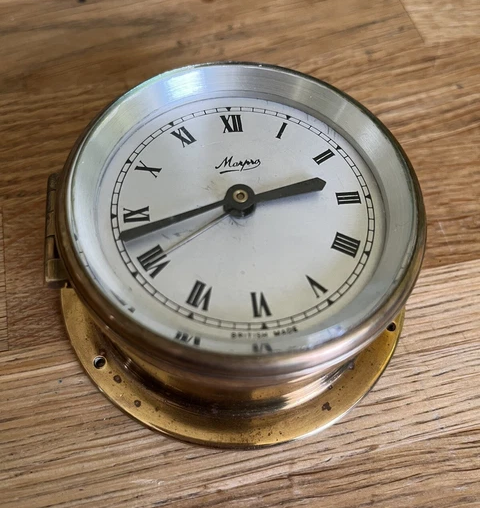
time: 2:42
